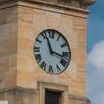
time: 11:17
